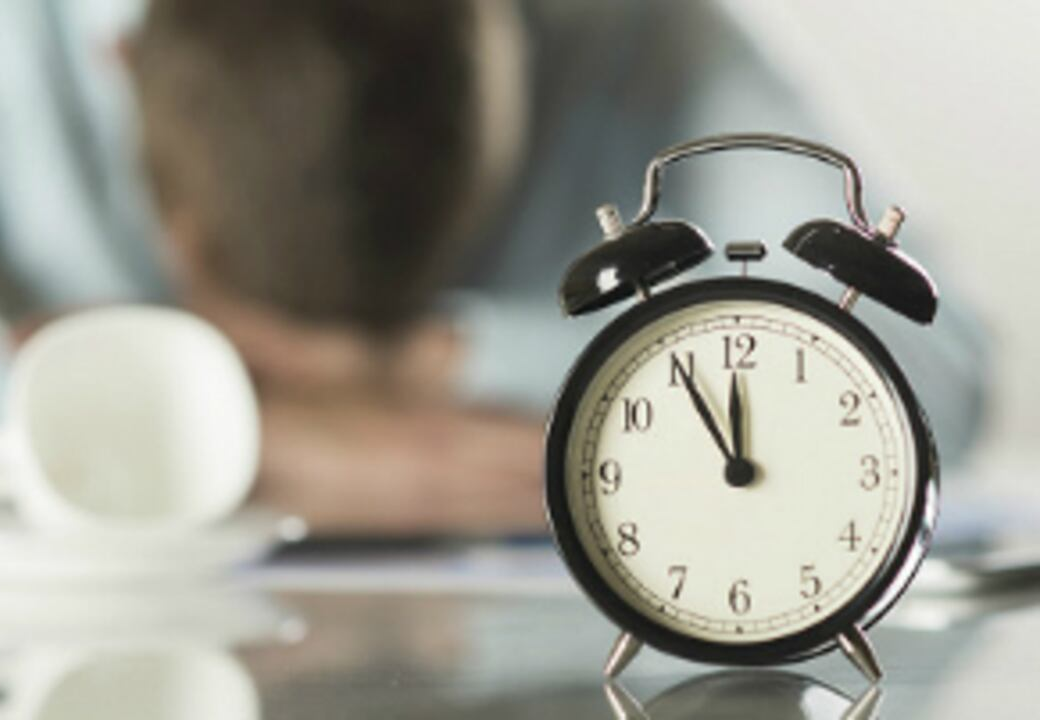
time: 11:55
